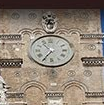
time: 10:35
